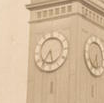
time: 5:35
